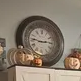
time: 2:46
